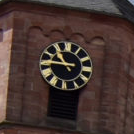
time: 10:45
